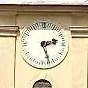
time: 2:27
